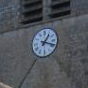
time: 1:18
